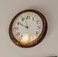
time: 9:57
